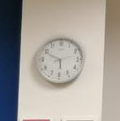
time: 5:49
